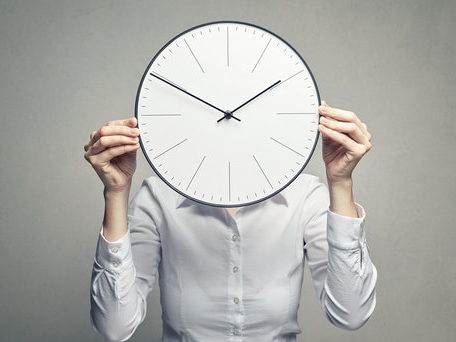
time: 1:50
